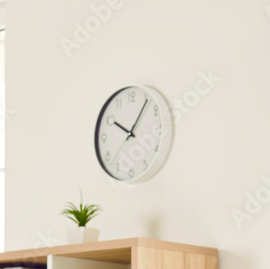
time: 10:05
